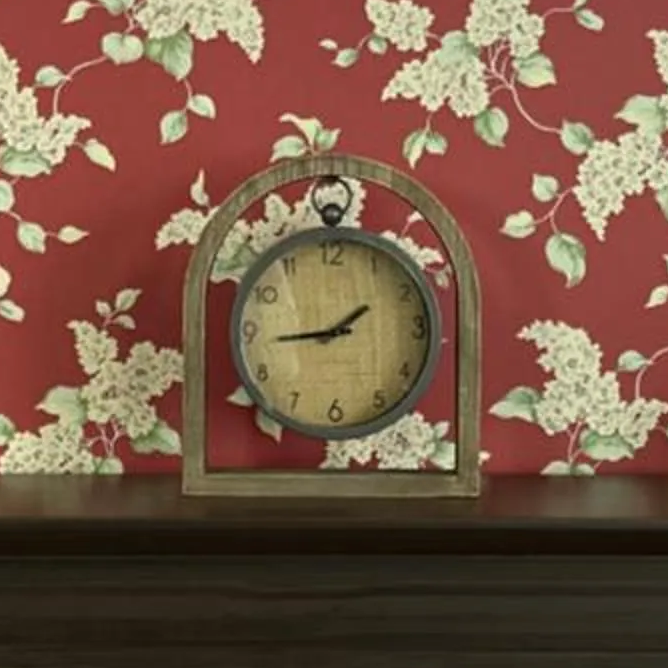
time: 1:44
